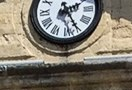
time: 2:25
